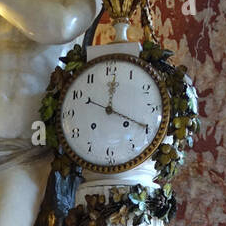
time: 12:19
